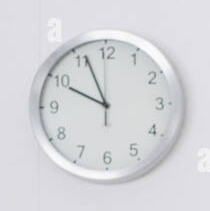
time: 9:56
